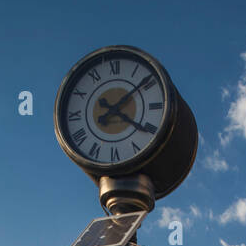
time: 4:08
